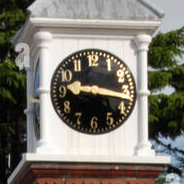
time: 9:17
